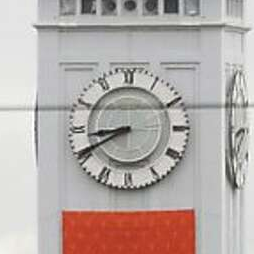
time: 8:40
